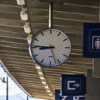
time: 8:45
